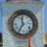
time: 11:35
